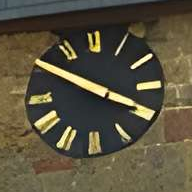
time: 3:50
